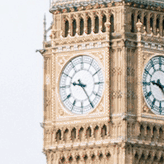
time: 9:24
